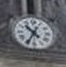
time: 10:34
